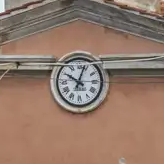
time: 10:03
